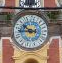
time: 9:43
